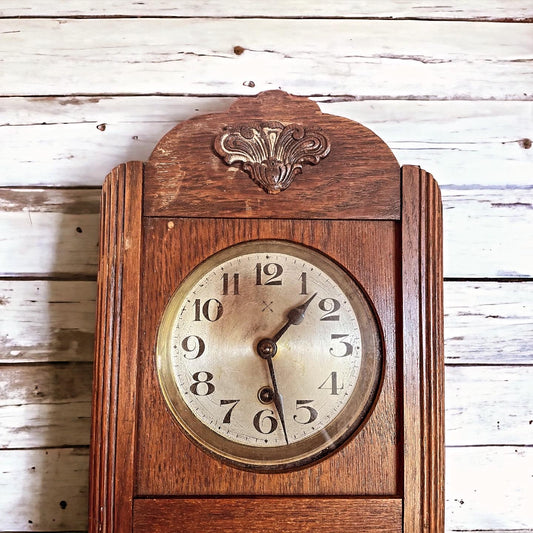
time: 1:28
